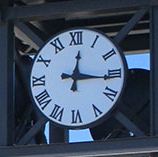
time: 12:16
